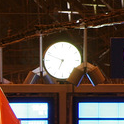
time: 6:48
